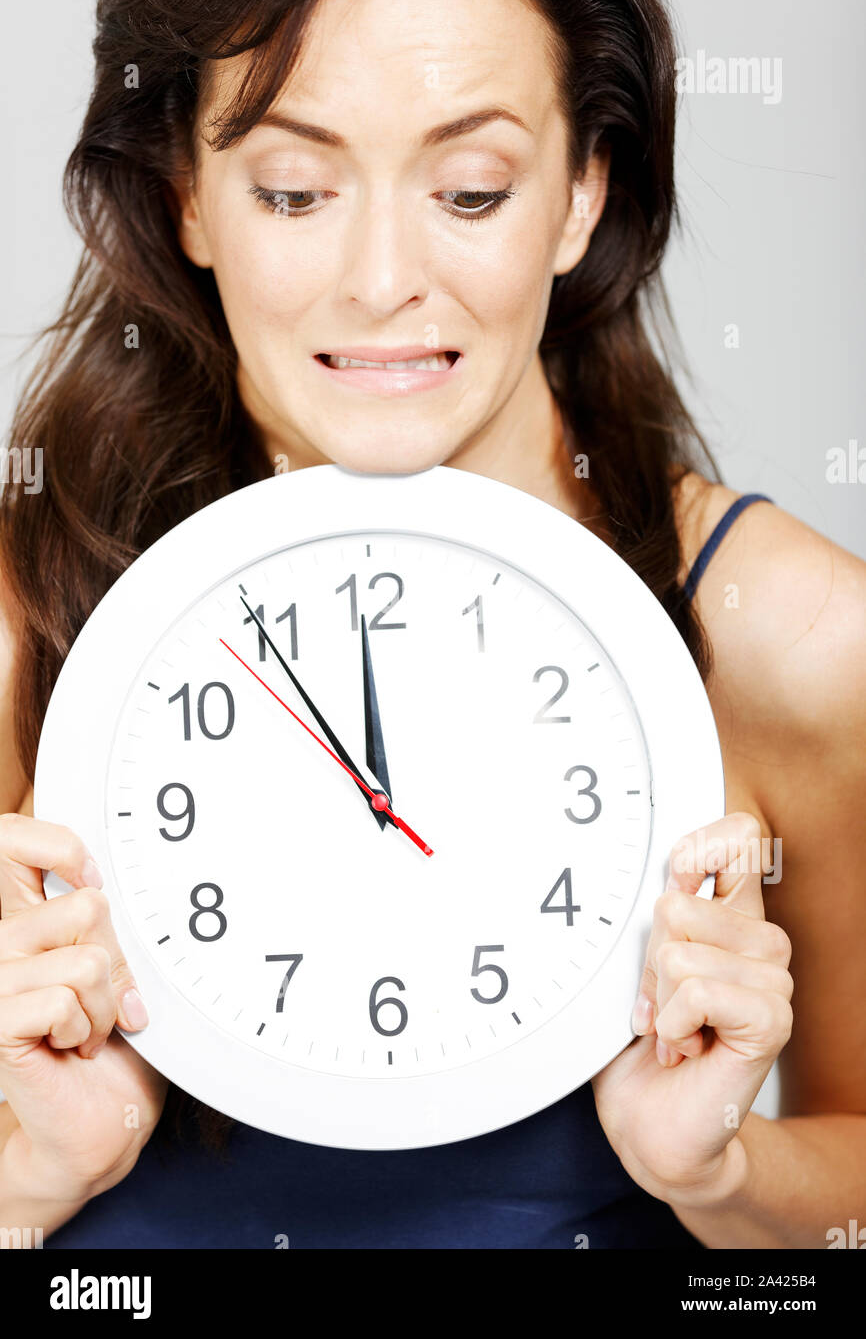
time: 11:54
